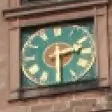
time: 2:29
